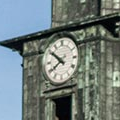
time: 10:39
